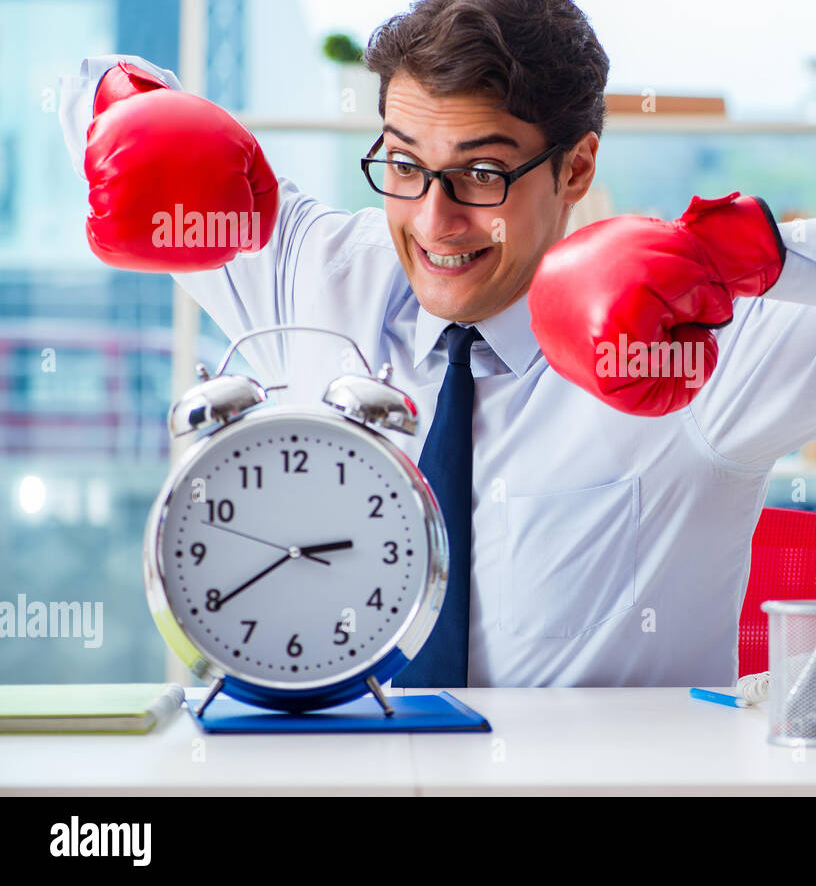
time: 2:39
